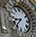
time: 8:37
